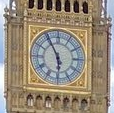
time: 5:55
